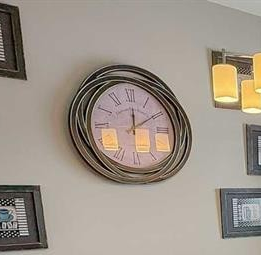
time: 12:09
